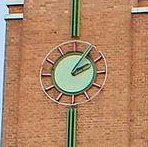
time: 2:06
